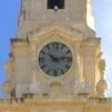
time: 10:13
